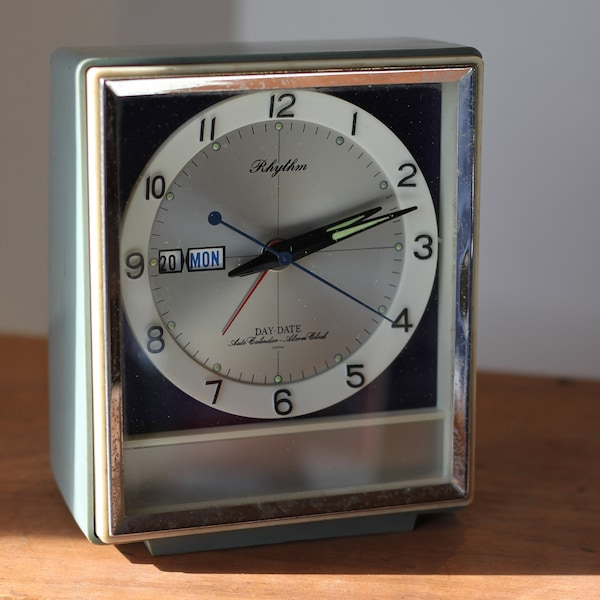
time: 2:12
